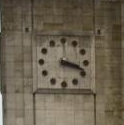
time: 3:18
